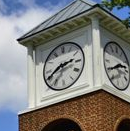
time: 2:40
